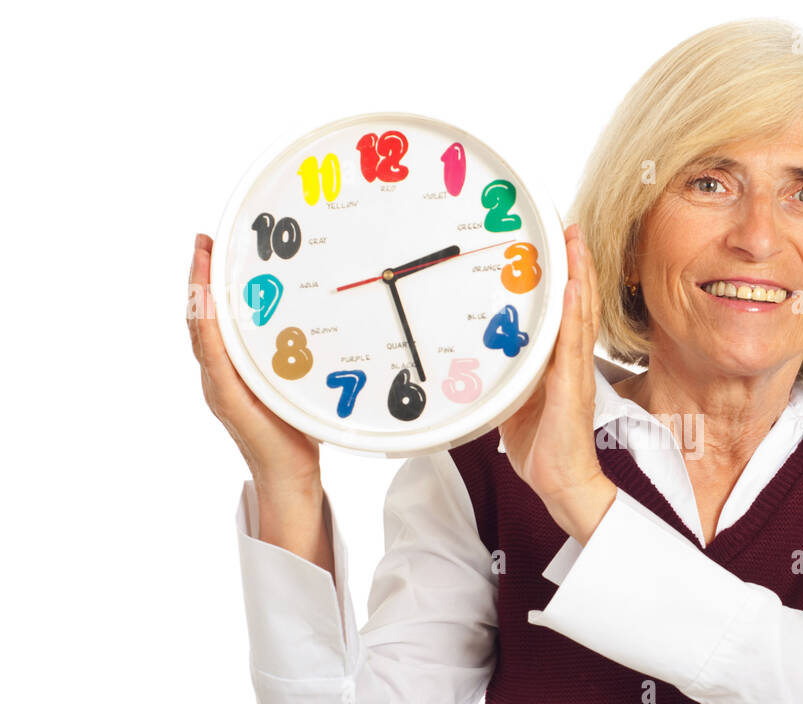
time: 2:28
